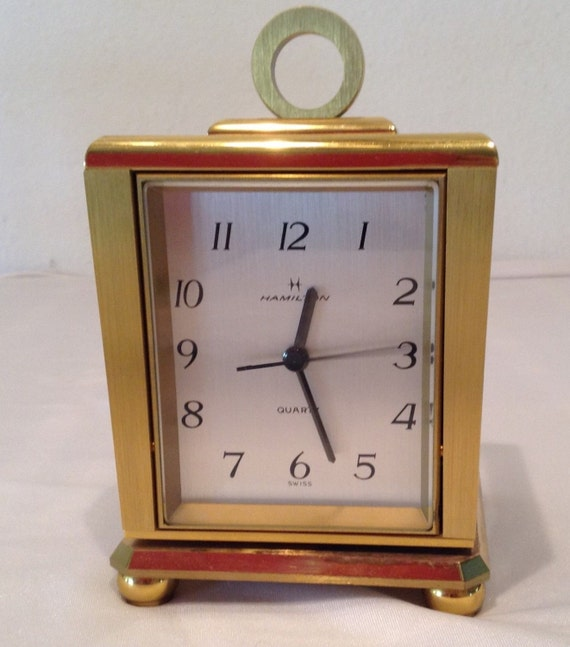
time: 12:26
